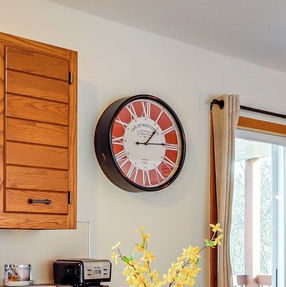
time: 1:14
